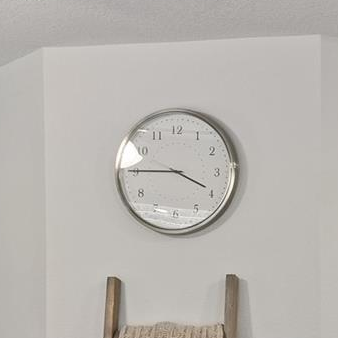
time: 3:45
